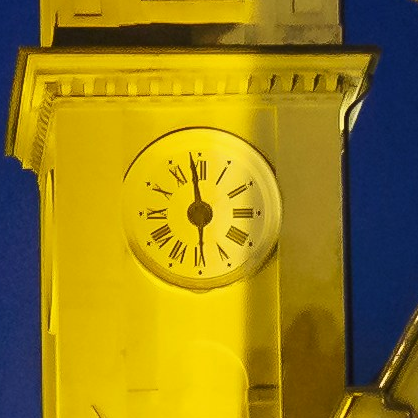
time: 5:58
